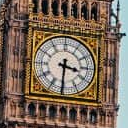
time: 3:30
